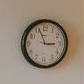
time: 2:56
